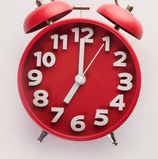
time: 7:00
